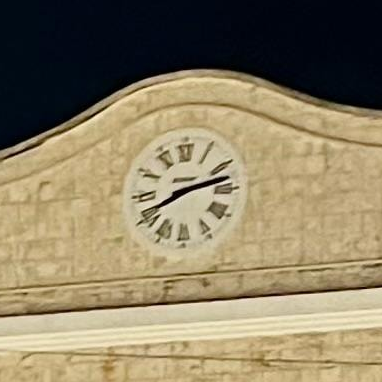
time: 8:12
